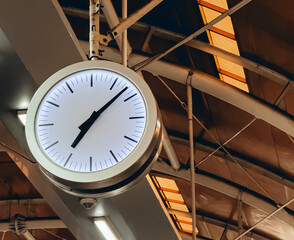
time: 7:08
